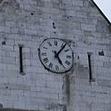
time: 5:06
